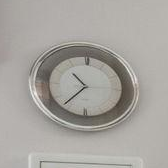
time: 10:36
